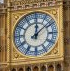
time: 12:08
